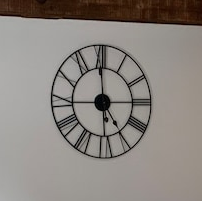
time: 4:59
